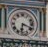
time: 6:18
